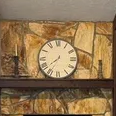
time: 7:34
